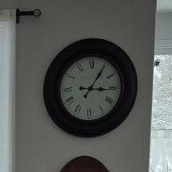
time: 3:05
